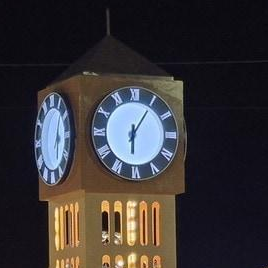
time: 6:05
